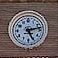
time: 5:13
